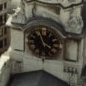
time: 3:56
